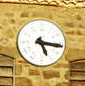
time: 5:16
